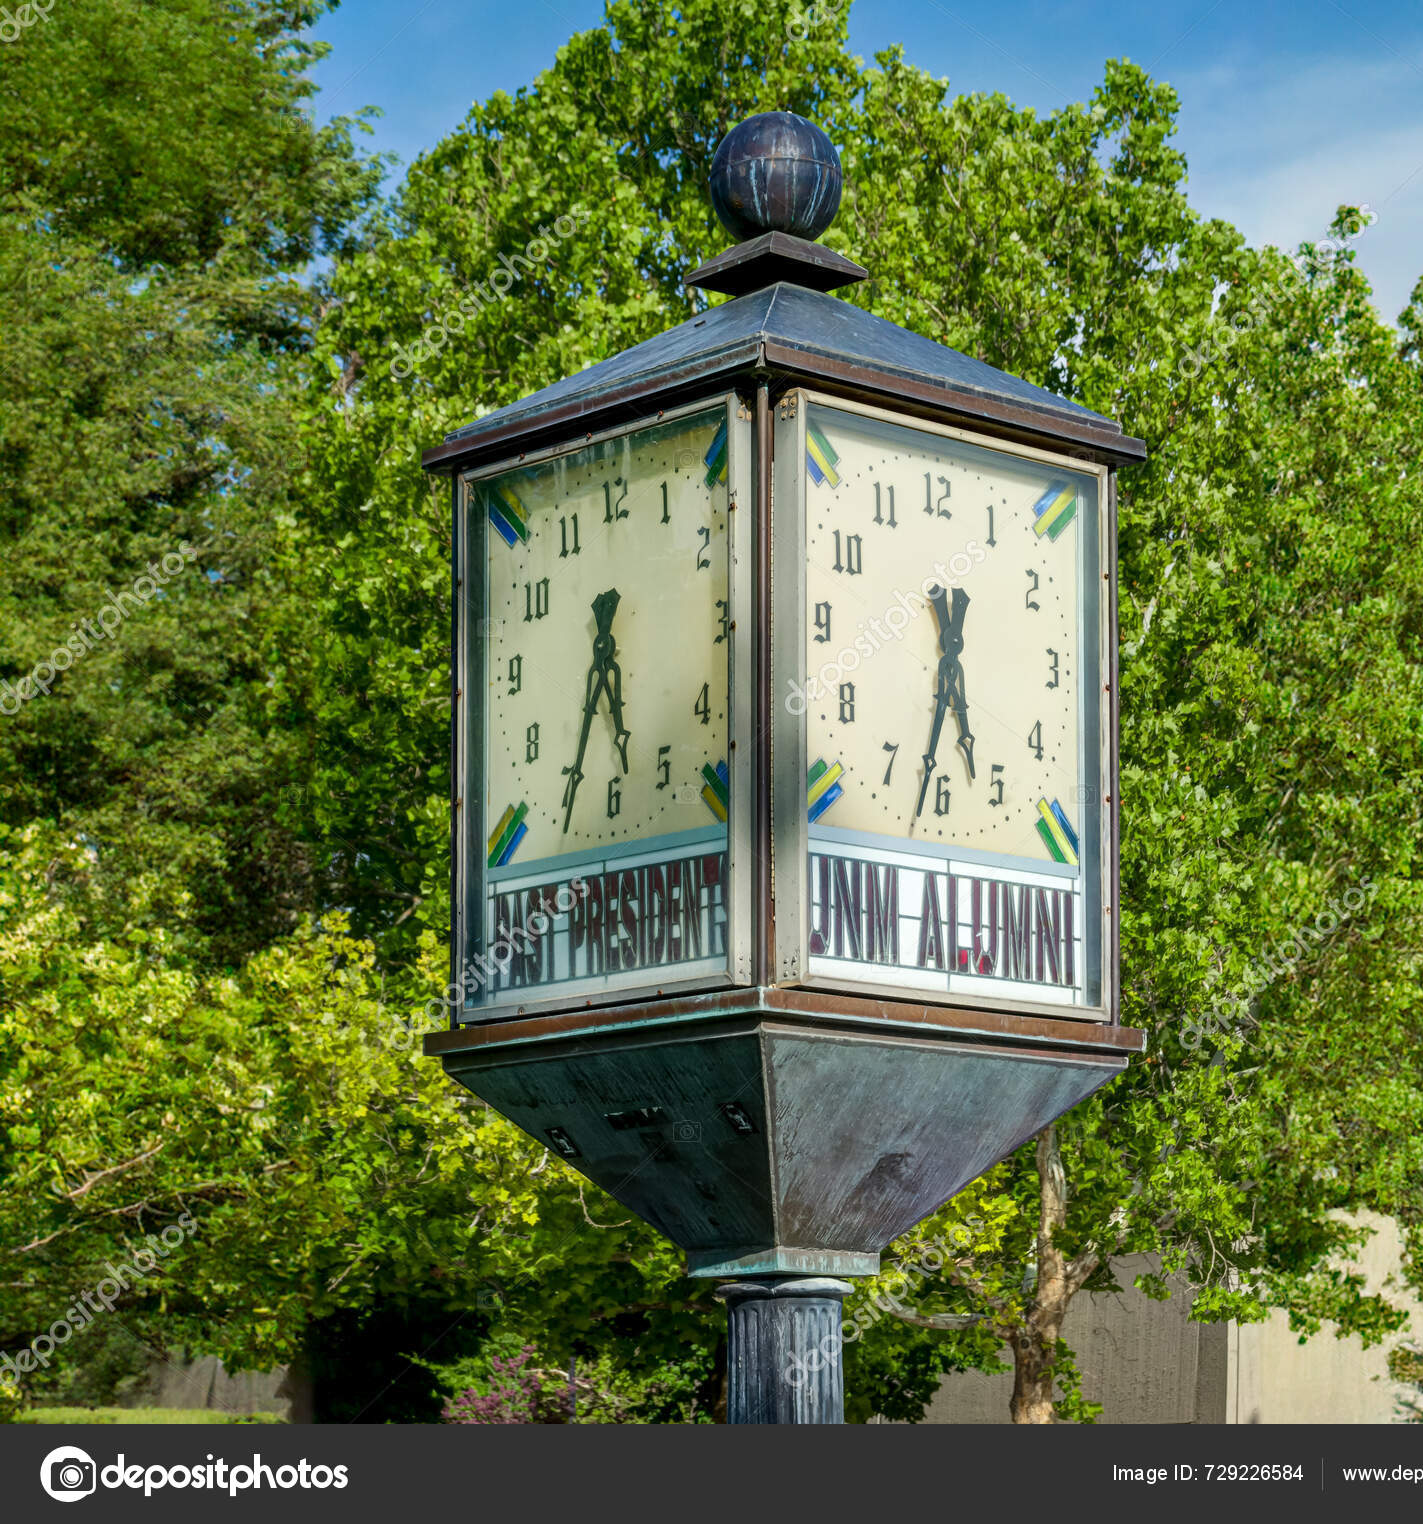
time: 5:33
